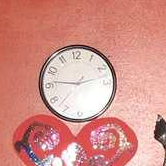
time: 9:12
